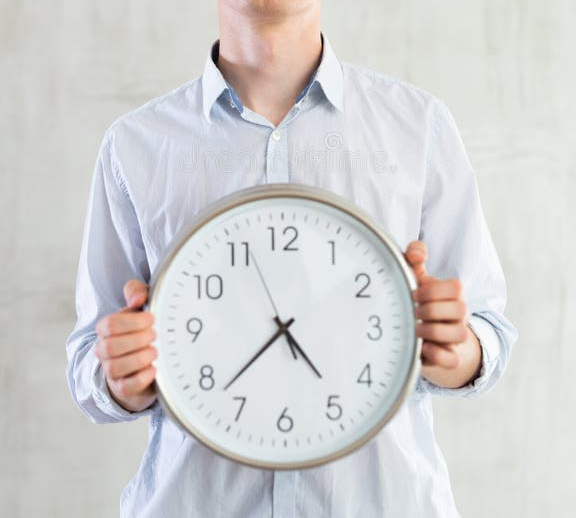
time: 4:37
